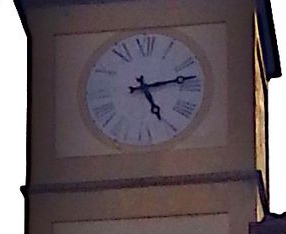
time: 5:13
